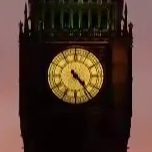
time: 4:23
